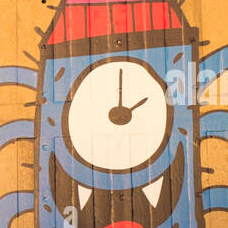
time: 2:00
